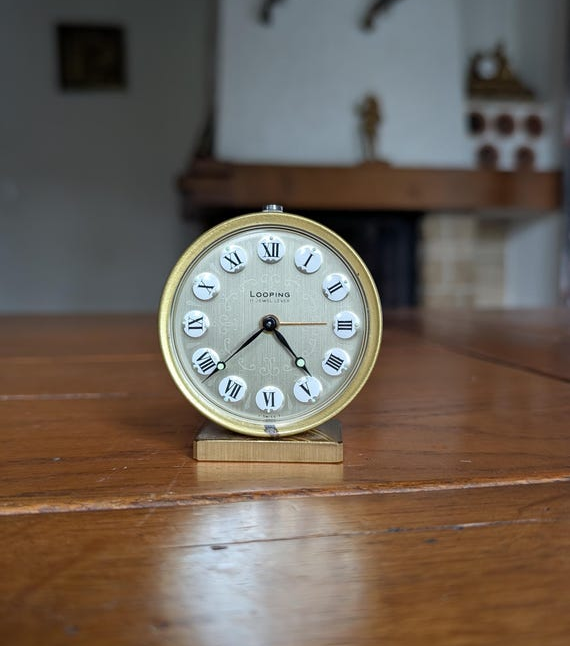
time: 4:38
